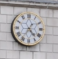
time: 4:35
